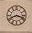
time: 8:17
